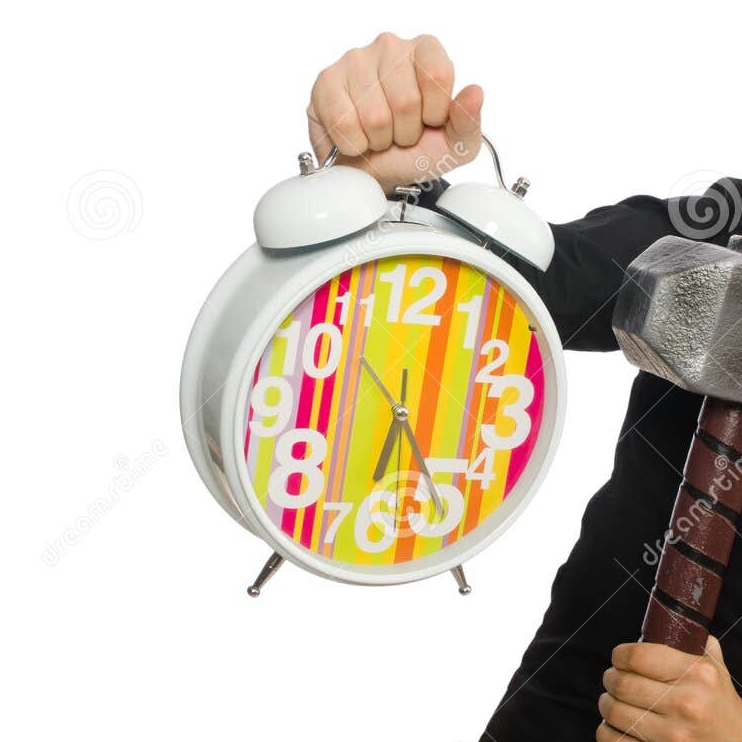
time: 6:25
